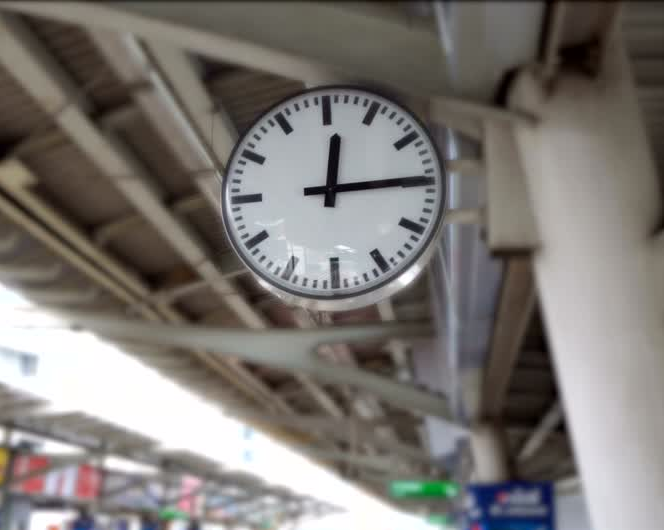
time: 12:14
